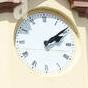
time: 2:09
